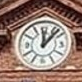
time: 12:07
